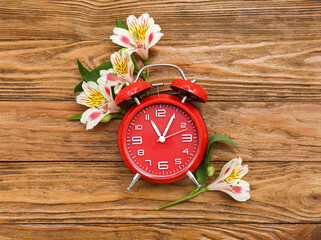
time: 11:05
